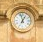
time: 12:57
